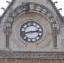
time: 2:42
